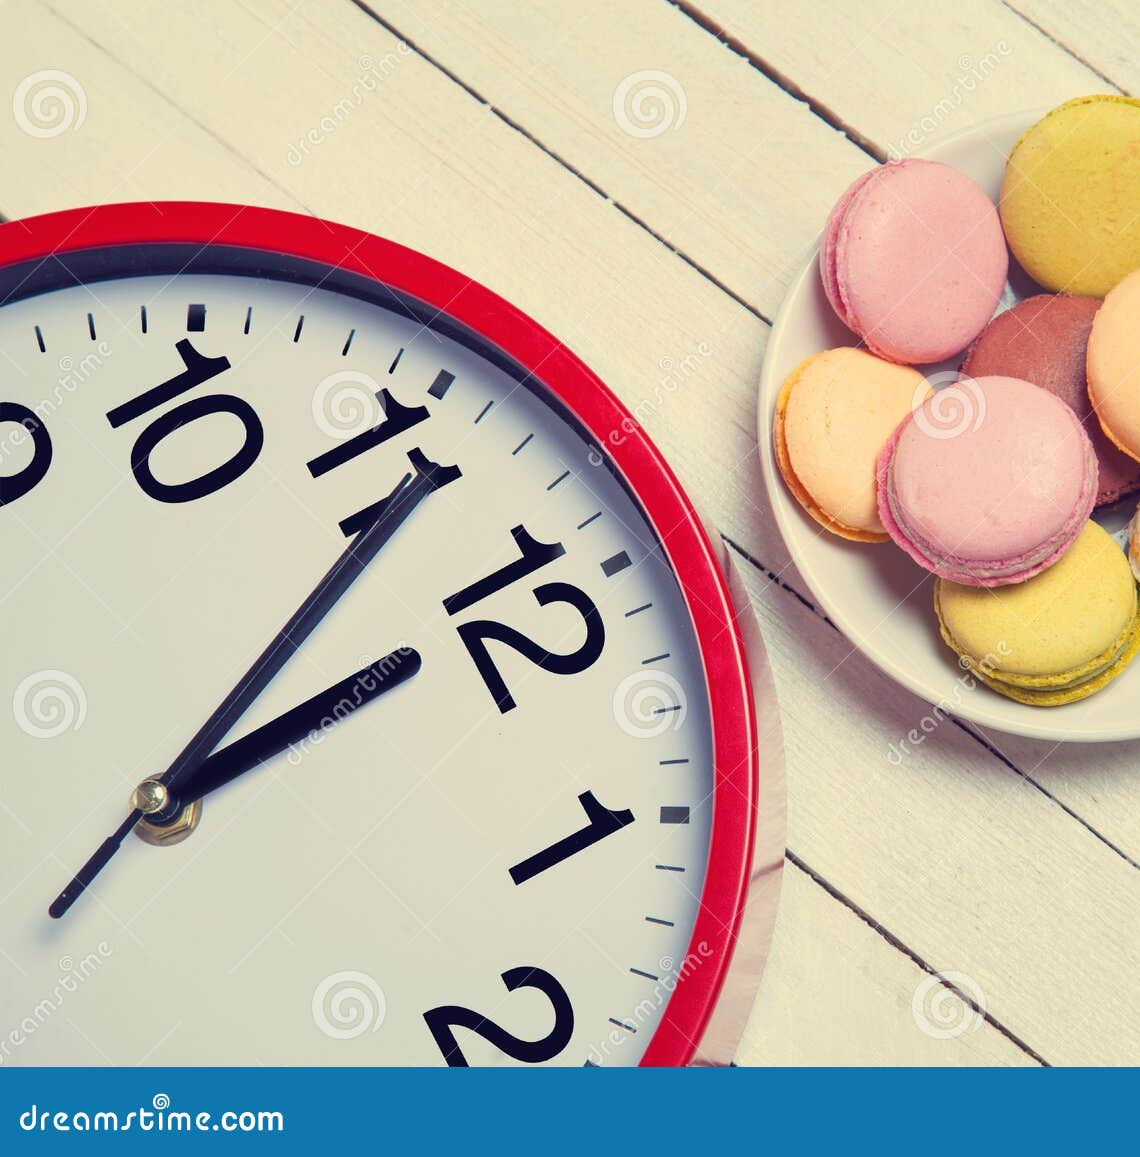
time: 2:06
